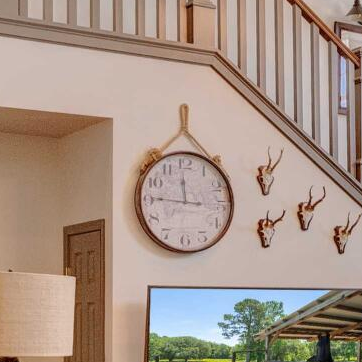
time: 11:45
